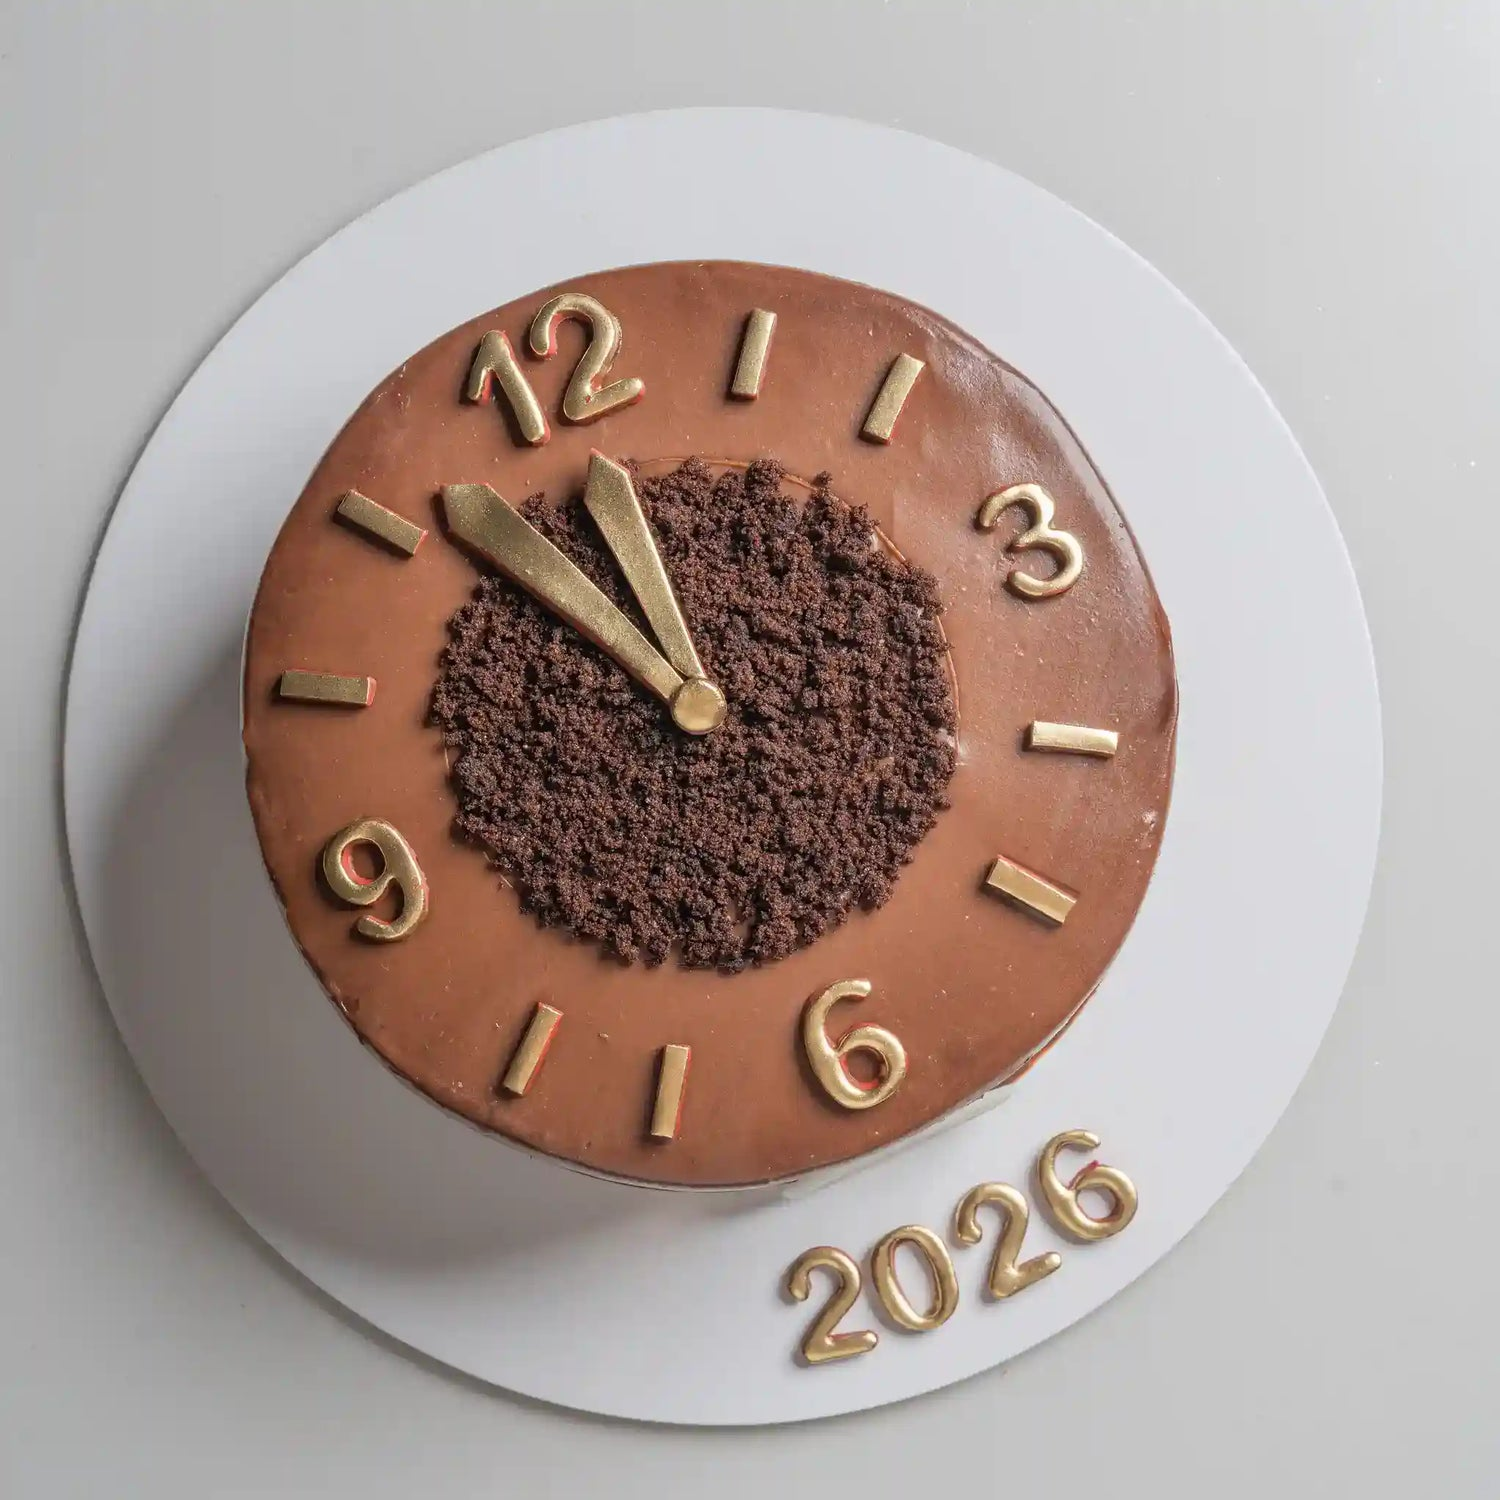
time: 10:50
